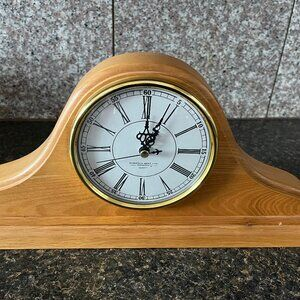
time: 1:00
